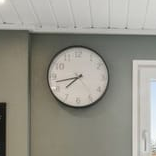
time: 7:42
